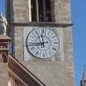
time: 11:43
